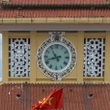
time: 10:42
